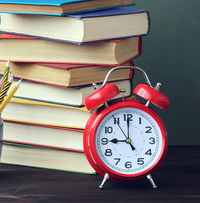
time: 9:00
